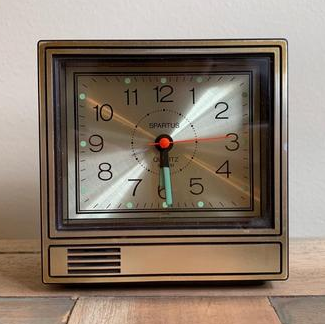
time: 1:29
